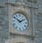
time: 1:50
